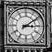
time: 3:09
